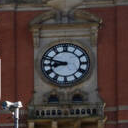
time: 8:47
